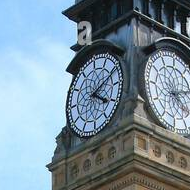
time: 4:10
